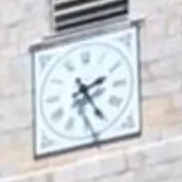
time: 2:25
